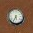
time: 5:34
